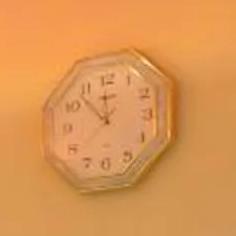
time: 11:52
